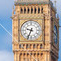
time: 9:34
